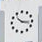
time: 10:17
